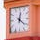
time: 12:21
